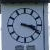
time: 3:18
